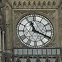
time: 11:19
